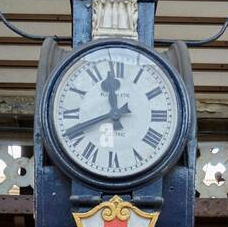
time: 11:41
